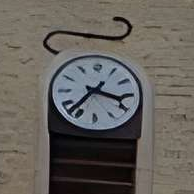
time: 3:36
